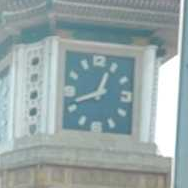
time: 12:41
